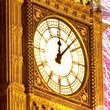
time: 12:07
